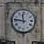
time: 11:46
